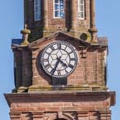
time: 4:34
